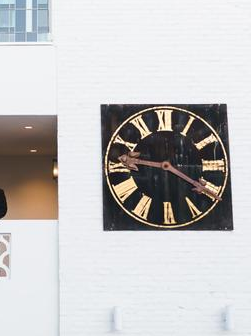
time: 9:20
